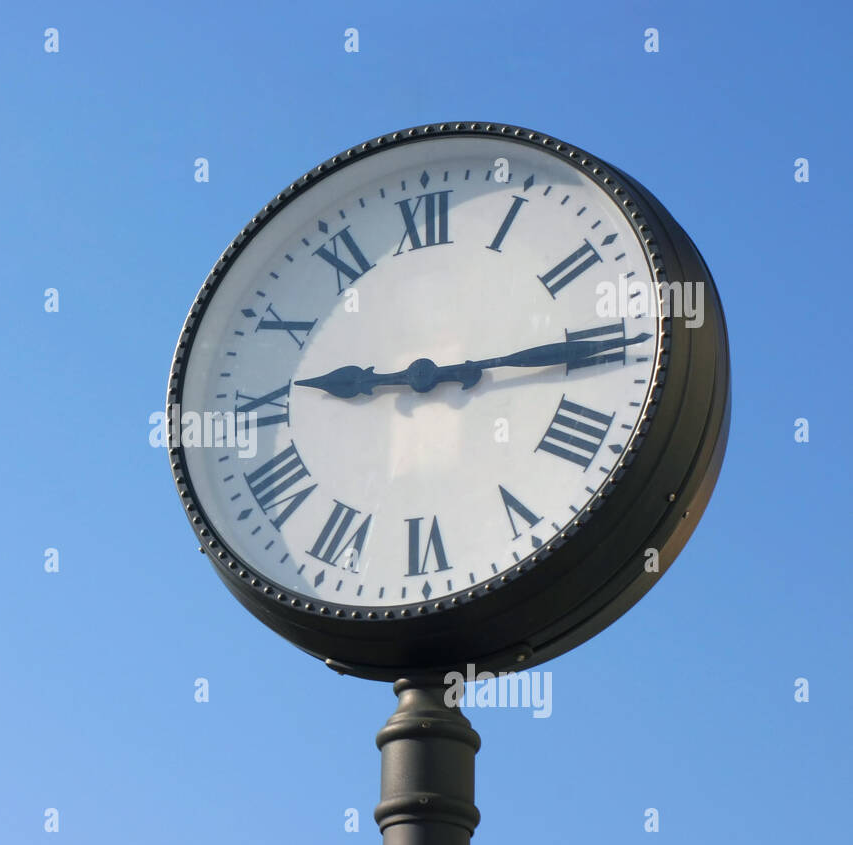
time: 9:14
